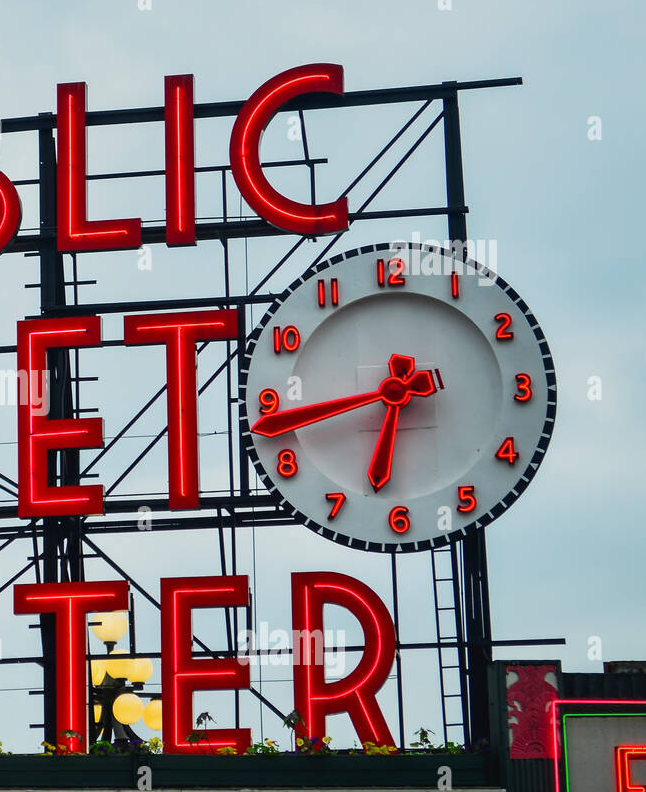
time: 6:42
